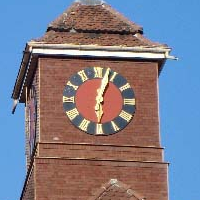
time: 6:03
